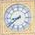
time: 8:38
